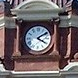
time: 4:09
